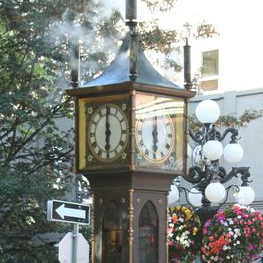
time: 5:59
